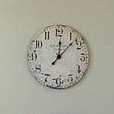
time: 12:07
